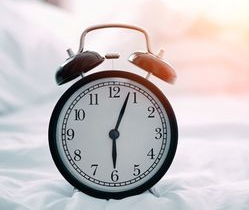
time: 6:03
